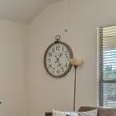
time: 1:24
